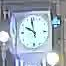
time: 9:57
